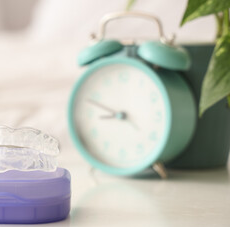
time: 8:48
